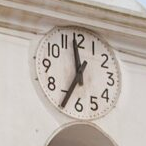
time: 11:34
